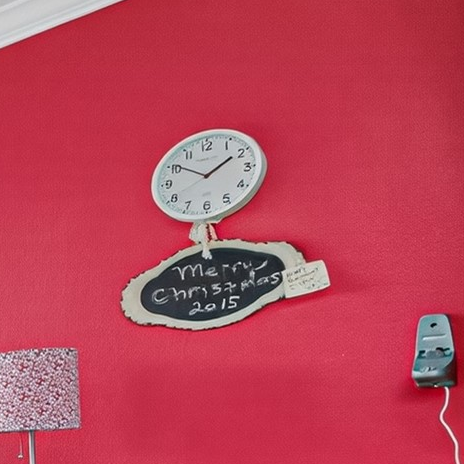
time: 1:50
